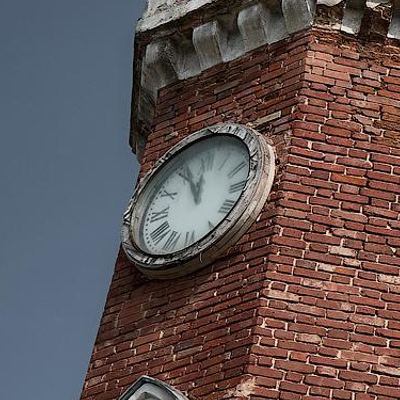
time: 11:55
